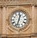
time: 12:32
